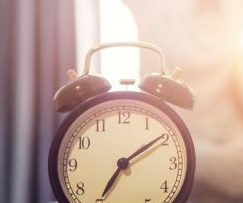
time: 7:09
